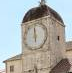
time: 5:59
